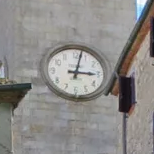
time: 3:02
